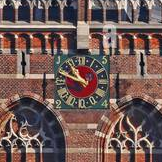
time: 10:48
